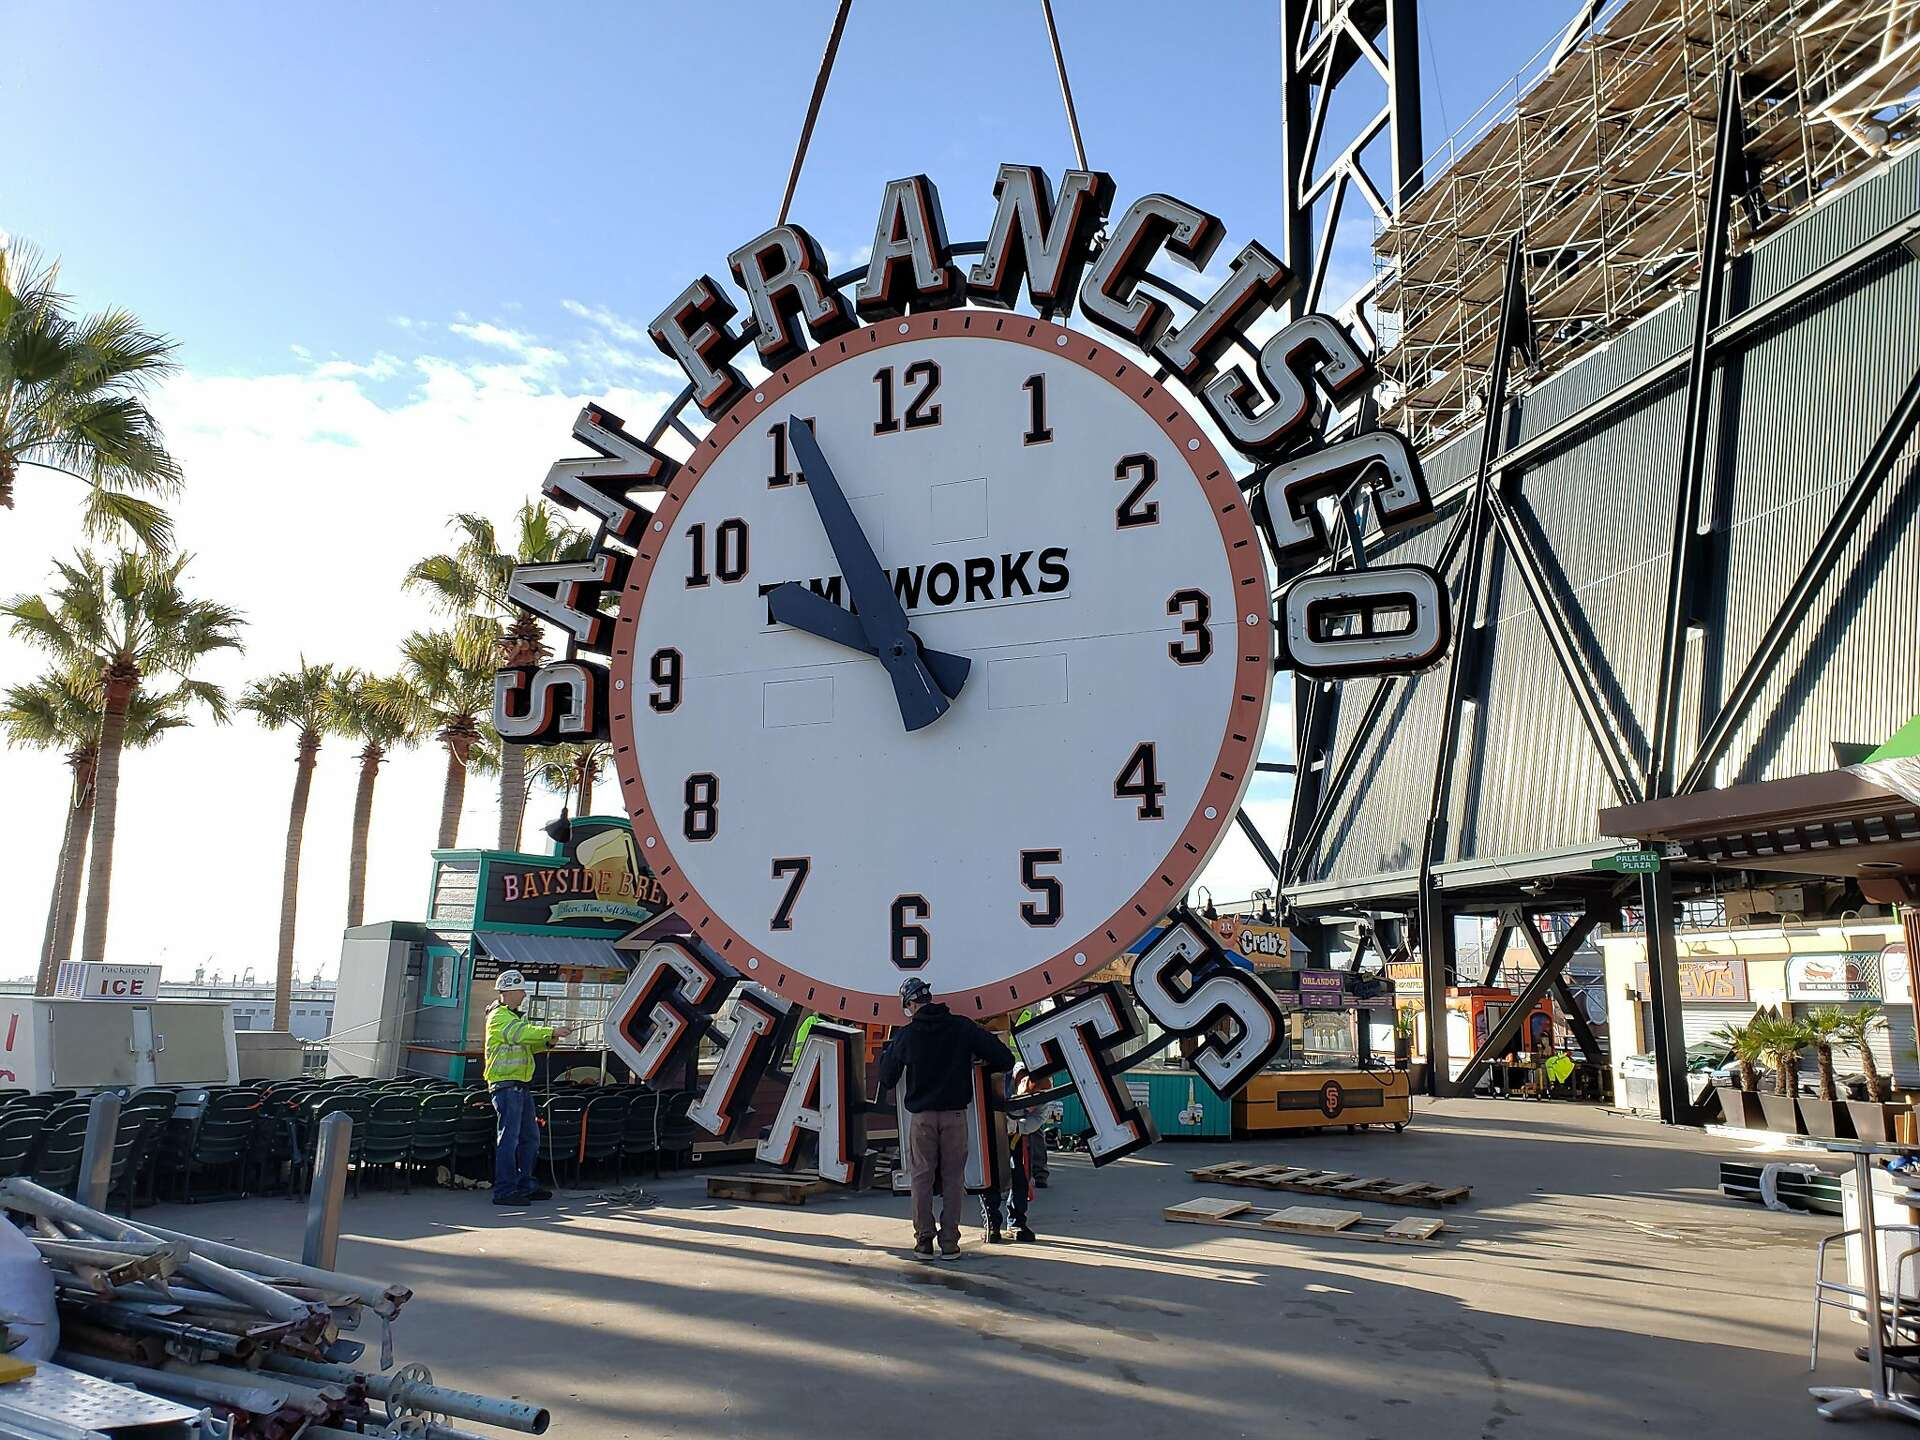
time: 9:55
